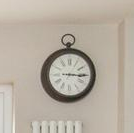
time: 3:15
